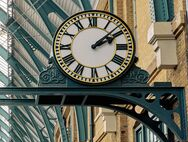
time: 2:08
